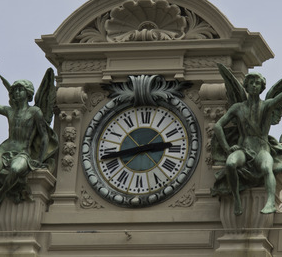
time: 2:42
